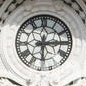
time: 6:14
